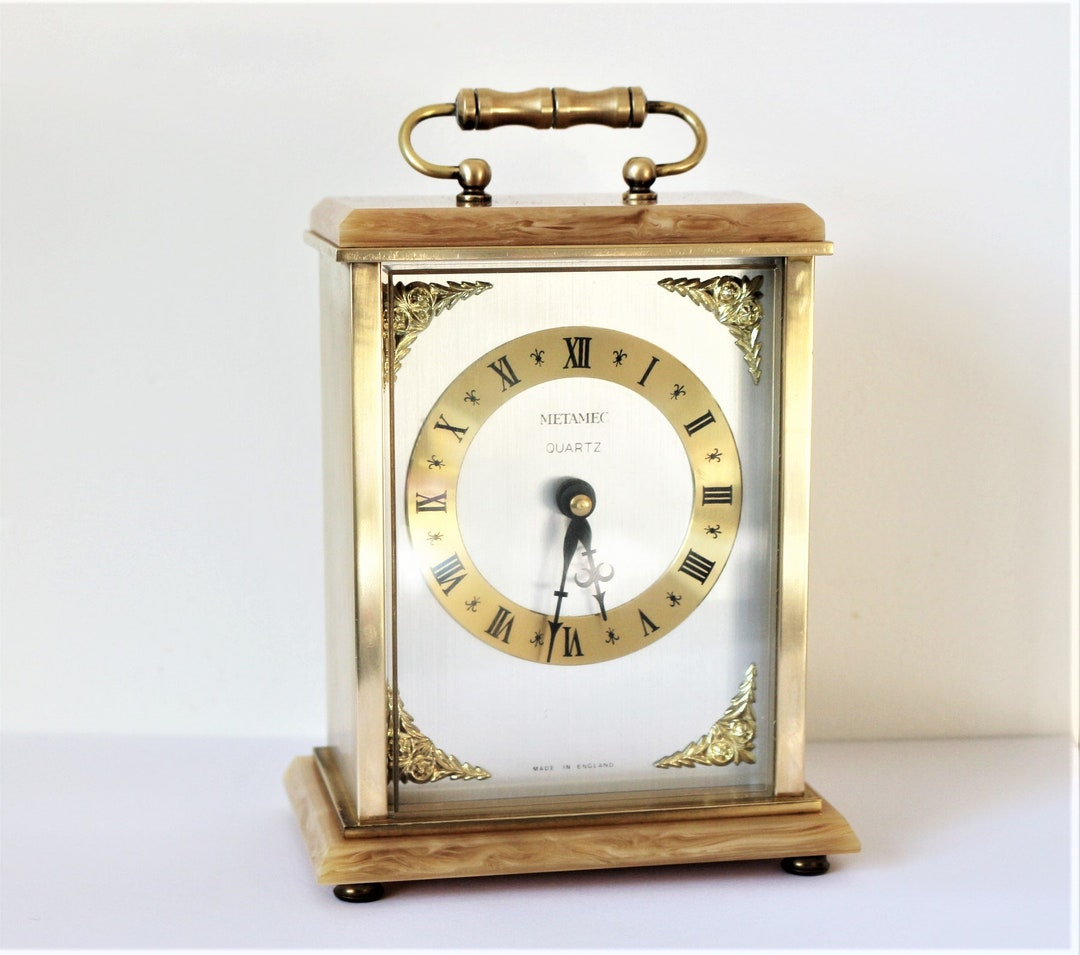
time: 5:32
